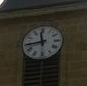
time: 11:43
